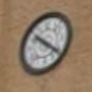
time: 10:21
